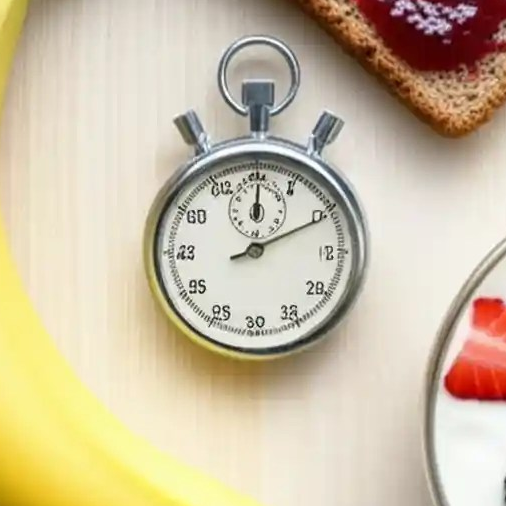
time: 12:10
